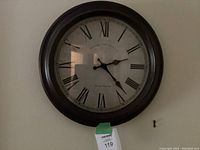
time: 2:22
